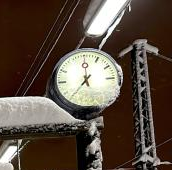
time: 7:00
